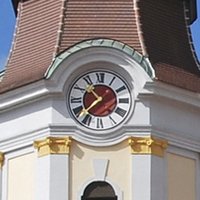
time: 10:37
